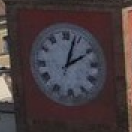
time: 2:03
